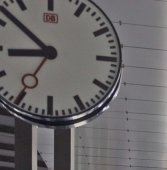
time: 8:52
